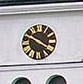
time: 3:48
